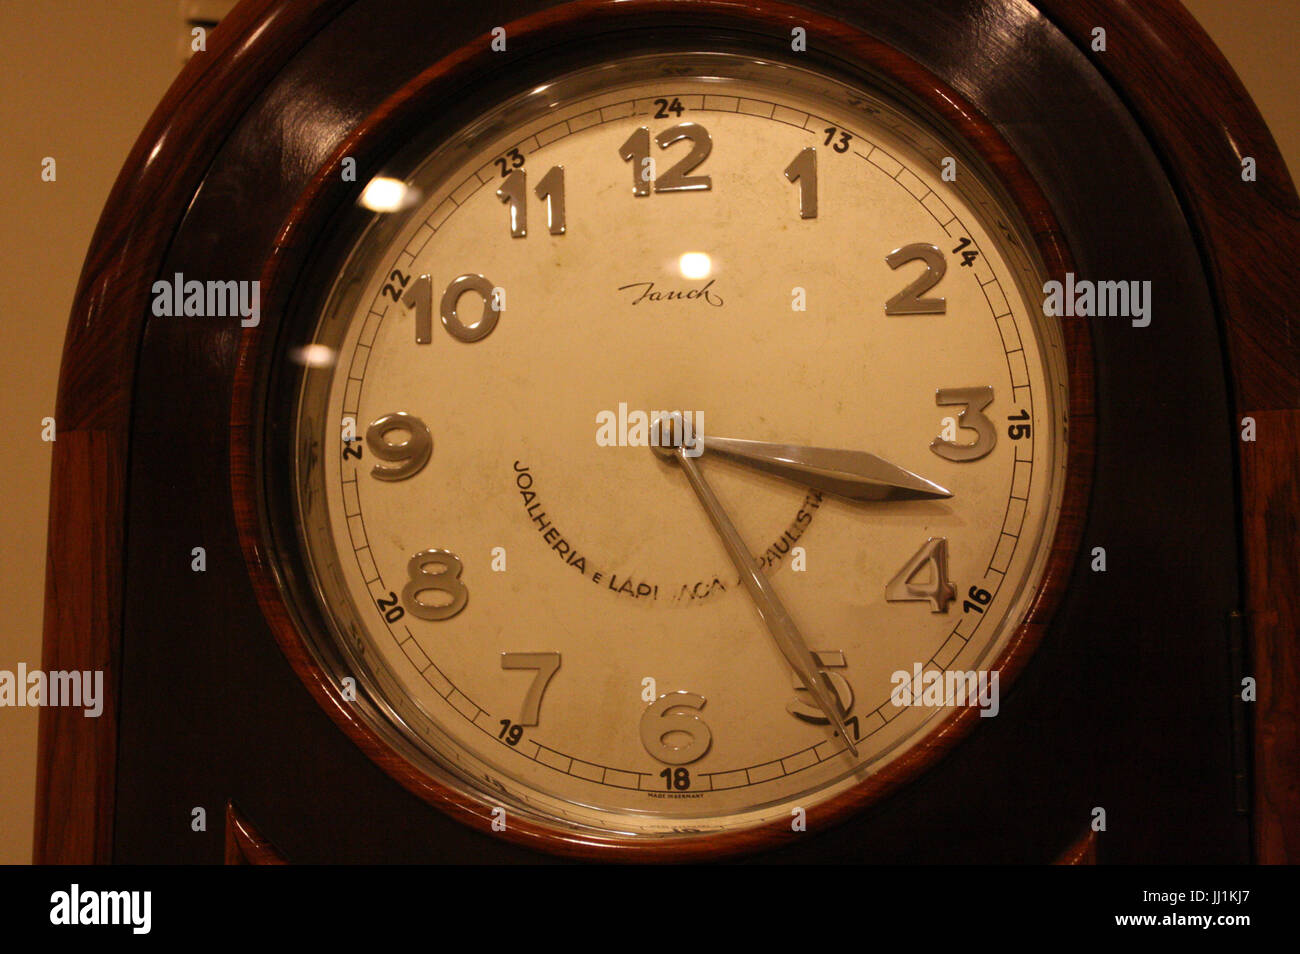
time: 3:24
